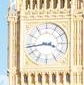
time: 3:43
